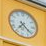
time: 7:21
